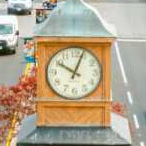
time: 10:03
